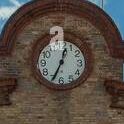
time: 12:34
